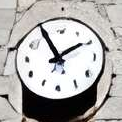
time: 1:55
